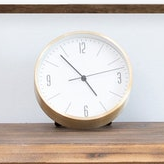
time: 4:53
